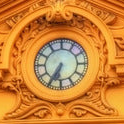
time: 6:34
